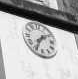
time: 1:34
